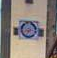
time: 8:35
